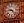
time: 9:22
